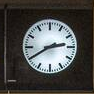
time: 2:40
